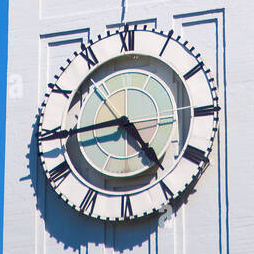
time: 4:44
